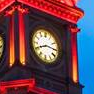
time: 8:14
